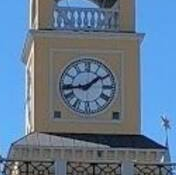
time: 1:43
